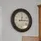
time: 12:14
